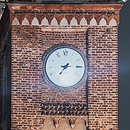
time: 7:14
